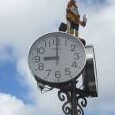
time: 9:00
